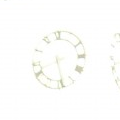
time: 5:41
